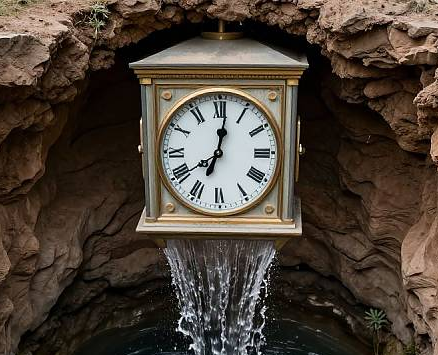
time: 7:01
